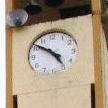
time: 4:50
